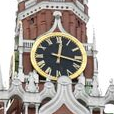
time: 12:17
